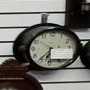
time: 6:36
